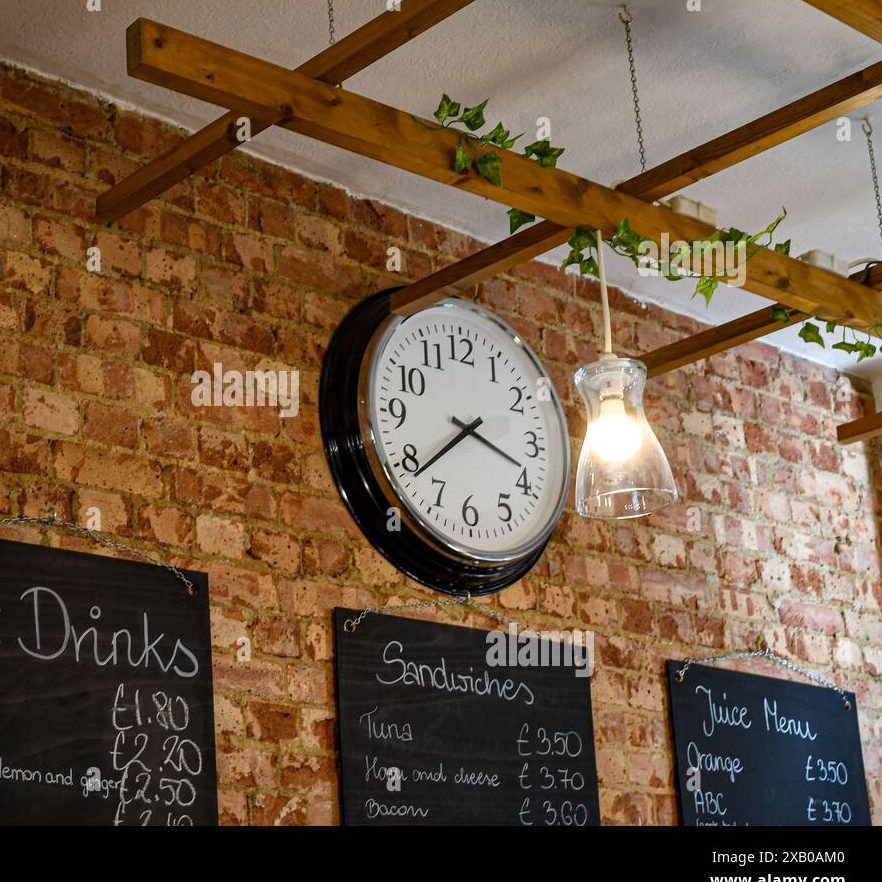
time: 3:38
